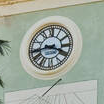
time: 3:43
